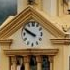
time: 9:49
